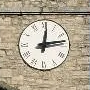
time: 12:13
